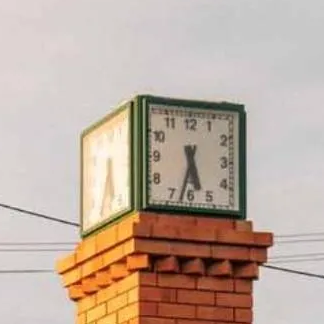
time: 5:32
